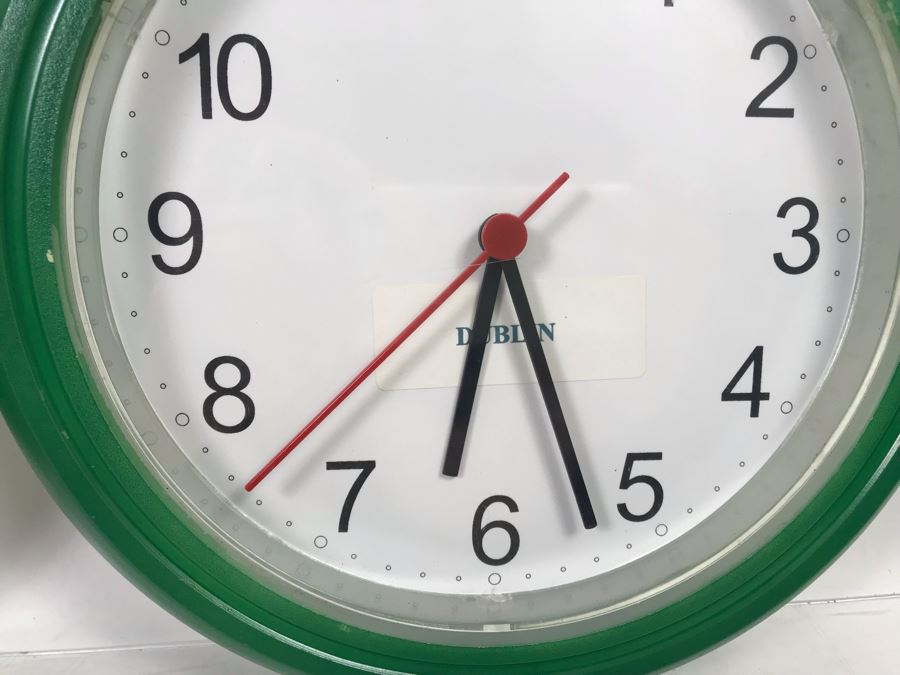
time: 6:26
